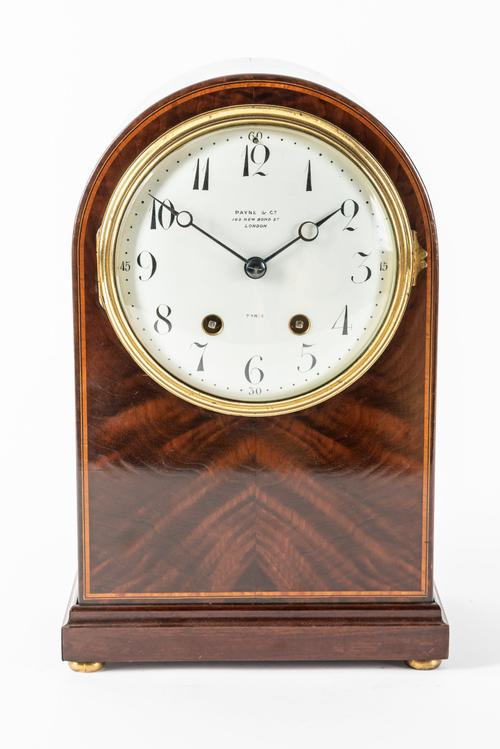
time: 1:50
